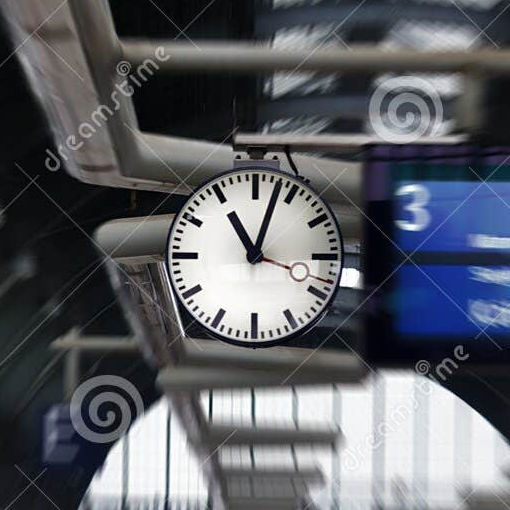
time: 11:03
